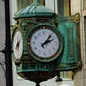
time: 2:06
